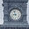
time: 8:57
